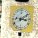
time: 3:09
